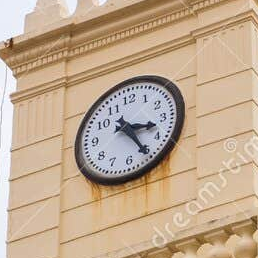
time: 3:25
